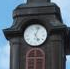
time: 5:02
